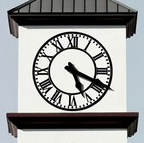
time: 5:19
